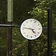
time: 4:46
